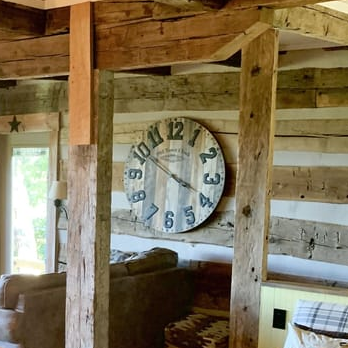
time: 3:50
